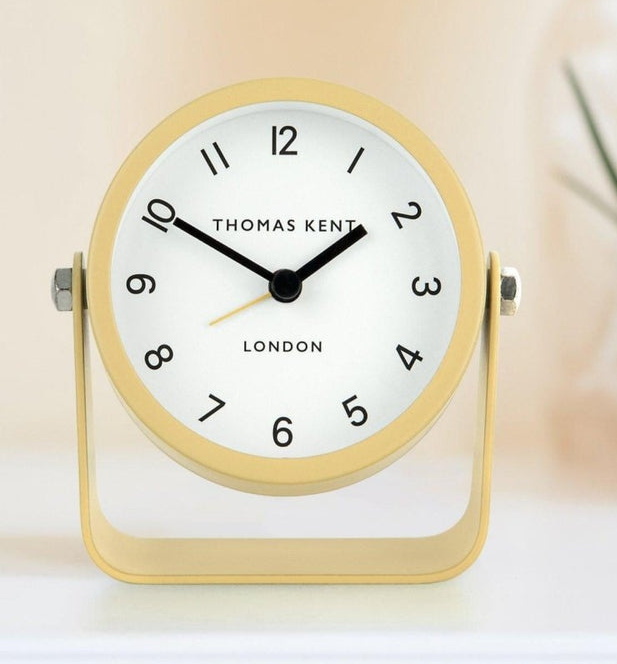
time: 1:50
